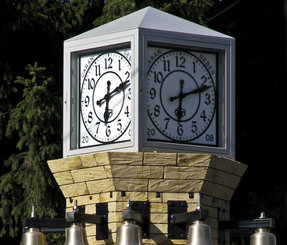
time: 6:11
